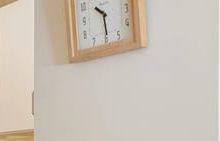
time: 10:29
